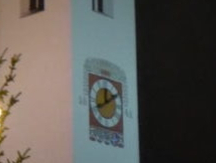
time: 12:09
